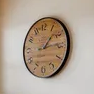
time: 1:13
